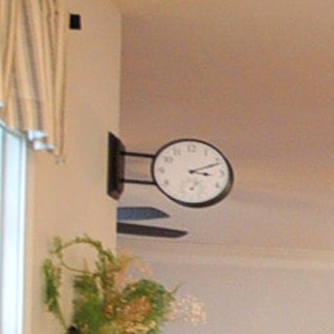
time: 3:11
